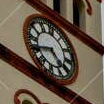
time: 4:41
